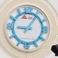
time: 9:05
